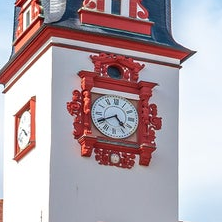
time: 4:41
